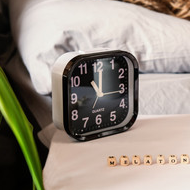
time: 11:00
